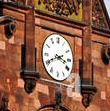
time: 3:40
